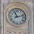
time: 11:11
